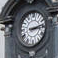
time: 3:13
